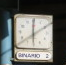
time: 6:00
